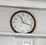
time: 11:17
